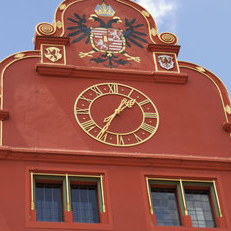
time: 1:35
